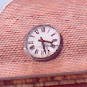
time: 3:27
